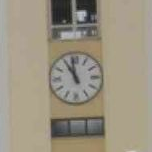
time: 10:58
